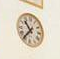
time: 10:36
